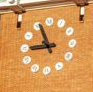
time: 8:56
